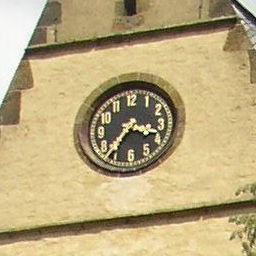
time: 3:36
